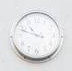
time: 10:48
